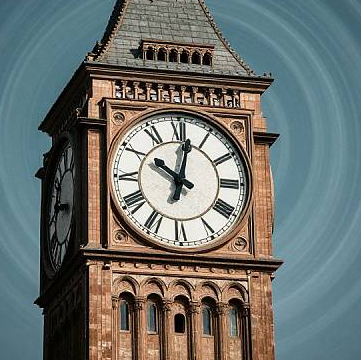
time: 10:01
